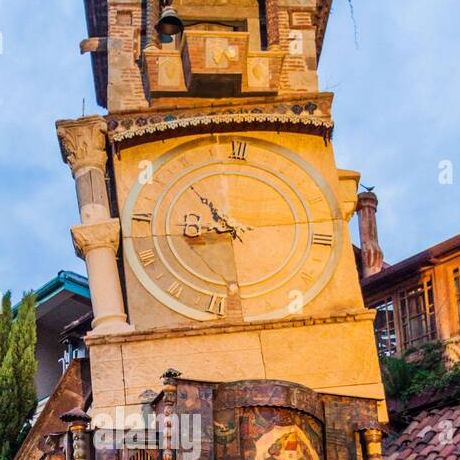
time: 8:53
